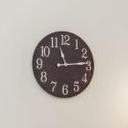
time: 11:14
